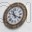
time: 11:19
